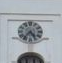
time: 4:36
